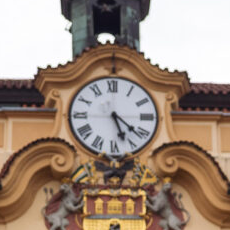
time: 5:21
